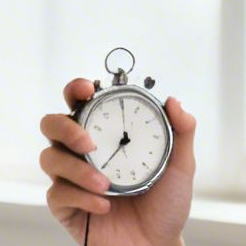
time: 7:00
